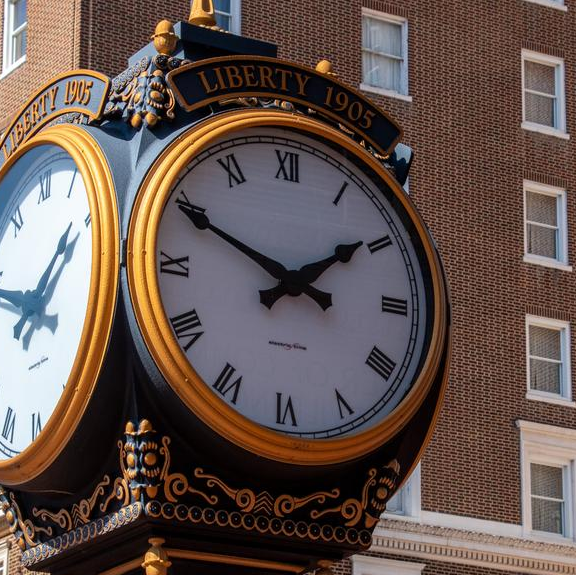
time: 1:49
